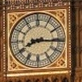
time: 8:15
